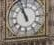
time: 10:56
